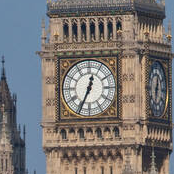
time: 12:34
